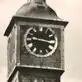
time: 9:16
